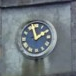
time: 1:57
